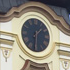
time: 1:31
